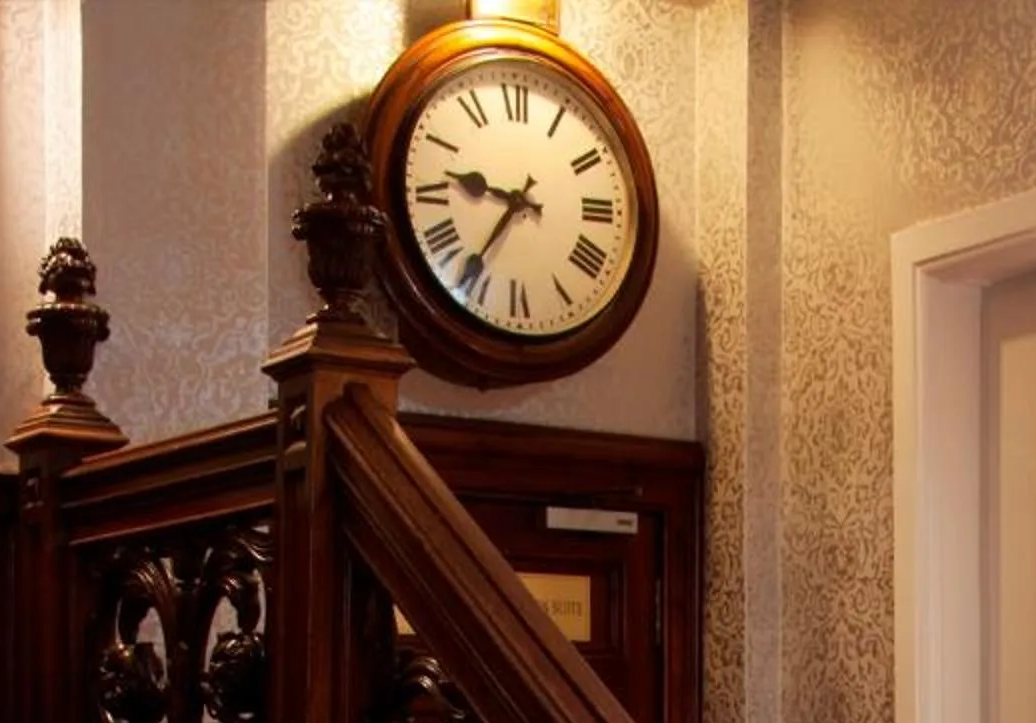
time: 9:36
